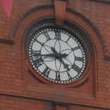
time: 4:42
